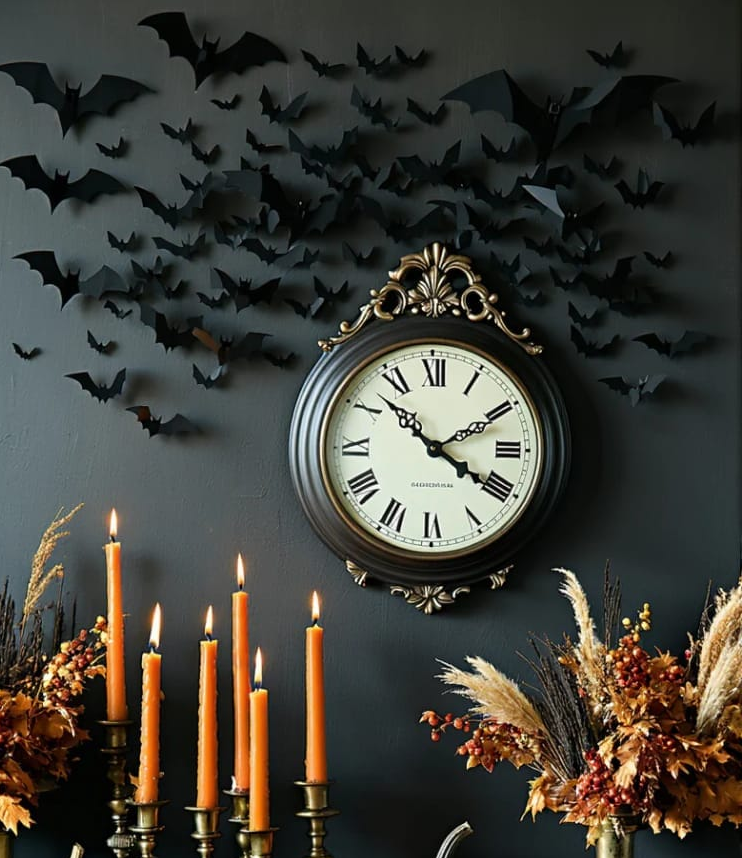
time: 3:52
